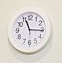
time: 11:15
